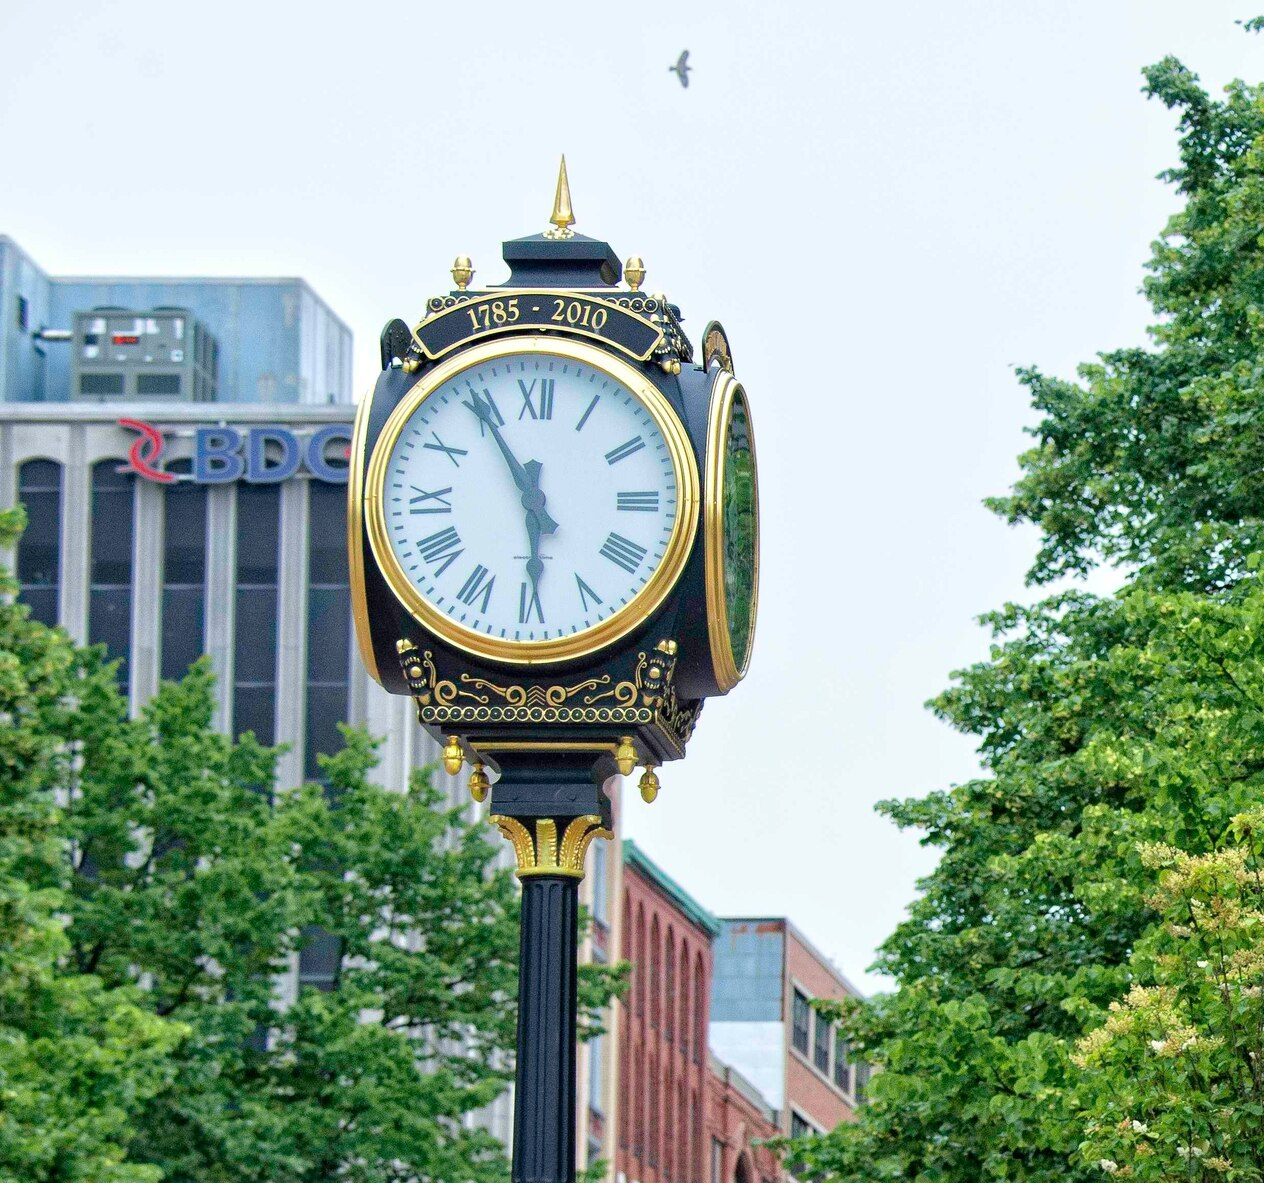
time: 5:54
